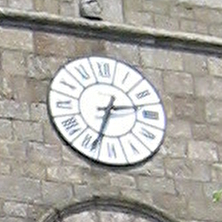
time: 2:33
